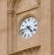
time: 4:42
